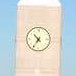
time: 10:36
